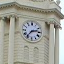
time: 2:36
